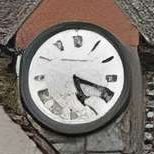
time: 5:18
